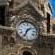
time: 1:33
